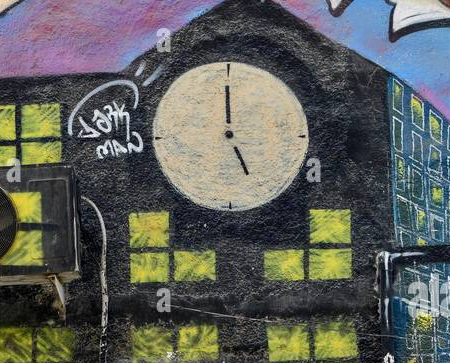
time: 4:59
